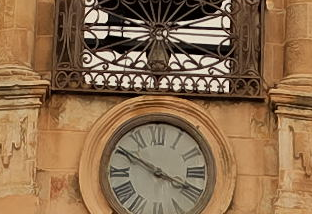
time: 3:50
